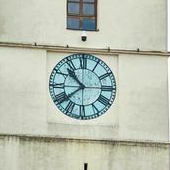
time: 10:38
